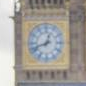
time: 12:41
